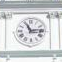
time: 11:13
